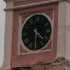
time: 4:30
